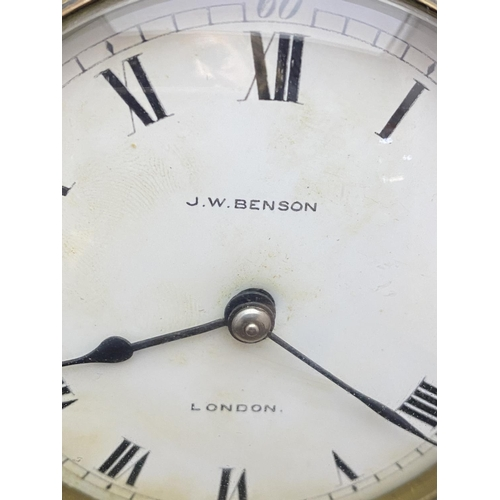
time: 8:21
